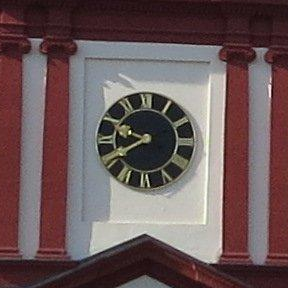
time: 9:40
